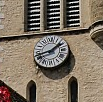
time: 1:42
